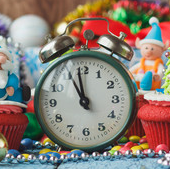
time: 10:58
